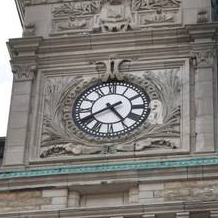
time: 4:40
